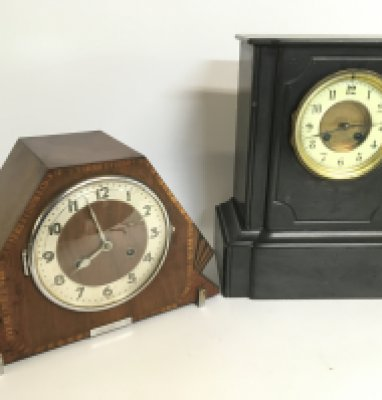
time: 7:57
